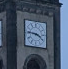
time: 3:46
